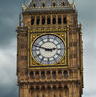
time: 2:48
